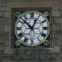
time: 12:52
